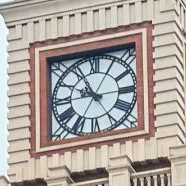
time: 9:55
